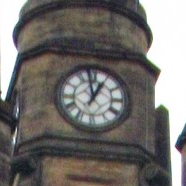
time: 12:58
